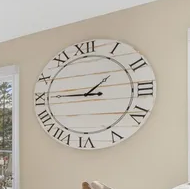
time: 1:45
